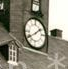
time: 1:39
